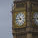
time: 10:45
